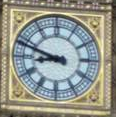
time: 8:47
